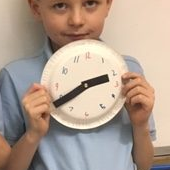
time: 2:39
